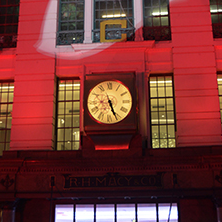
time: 5:26
